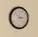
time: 2:53
